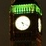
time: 5:18
